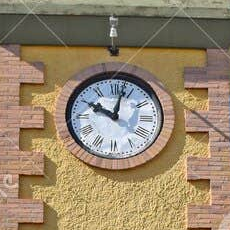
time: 10:02
